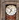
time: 6:52
